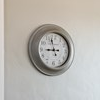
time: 8:57
